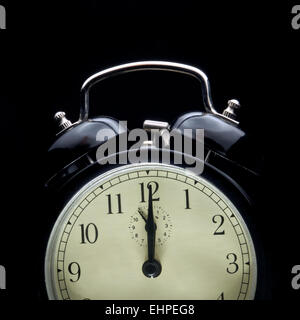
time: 12:00
